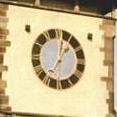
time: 1:01
